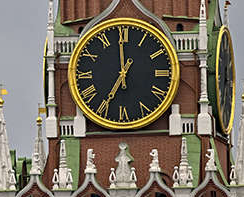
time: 6:59
